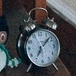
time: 7:07
